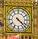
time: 4:22
